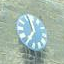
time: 11:36
